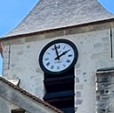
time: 1:57
